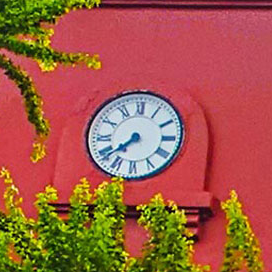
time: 7:38
